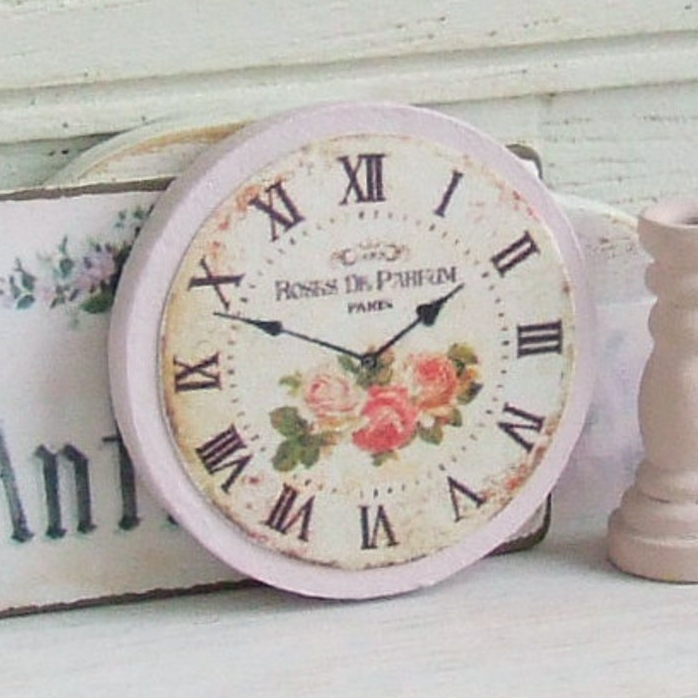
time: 1:48
